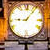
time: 9:07
